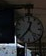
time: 12:37
